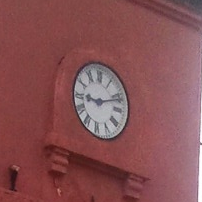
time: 9:11
